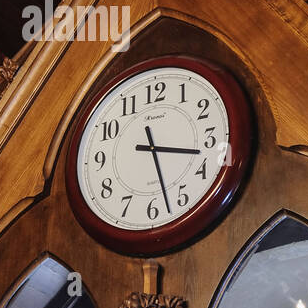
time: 3:27
